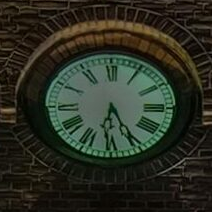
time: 6:25
